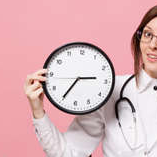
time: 2:35
